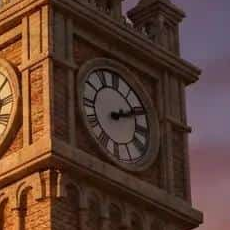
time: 2:11
